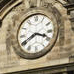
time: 3:40
